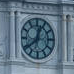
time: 12:38
